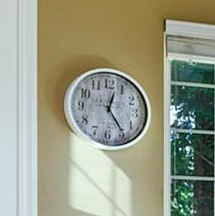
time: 12:24
